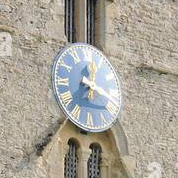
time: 12:18
